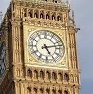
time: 5:12
